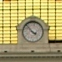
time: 3:52
